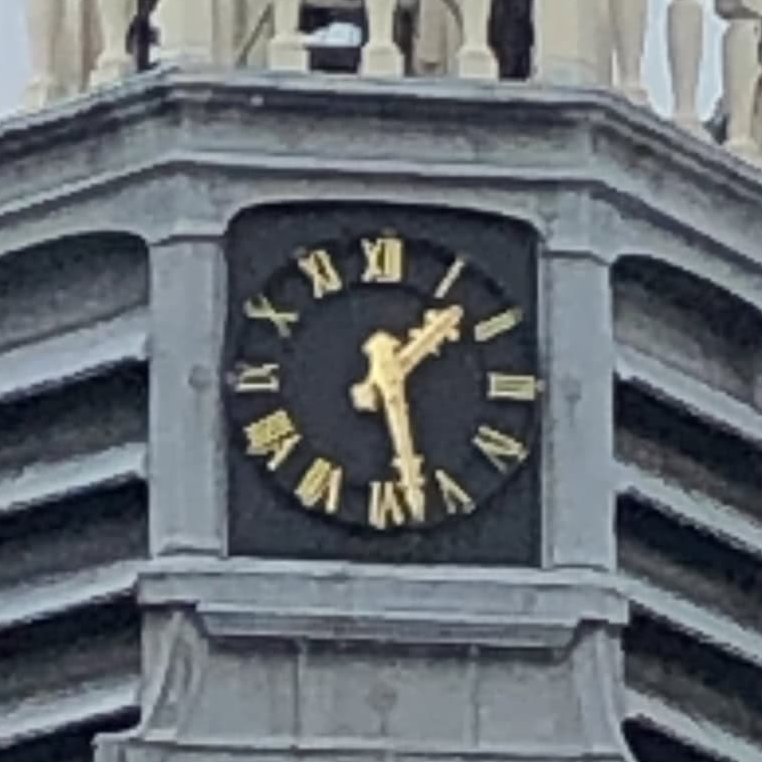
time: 1:28
